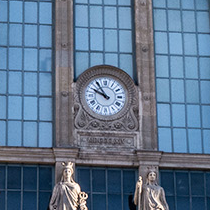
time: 9:54
